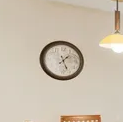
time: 1:26
